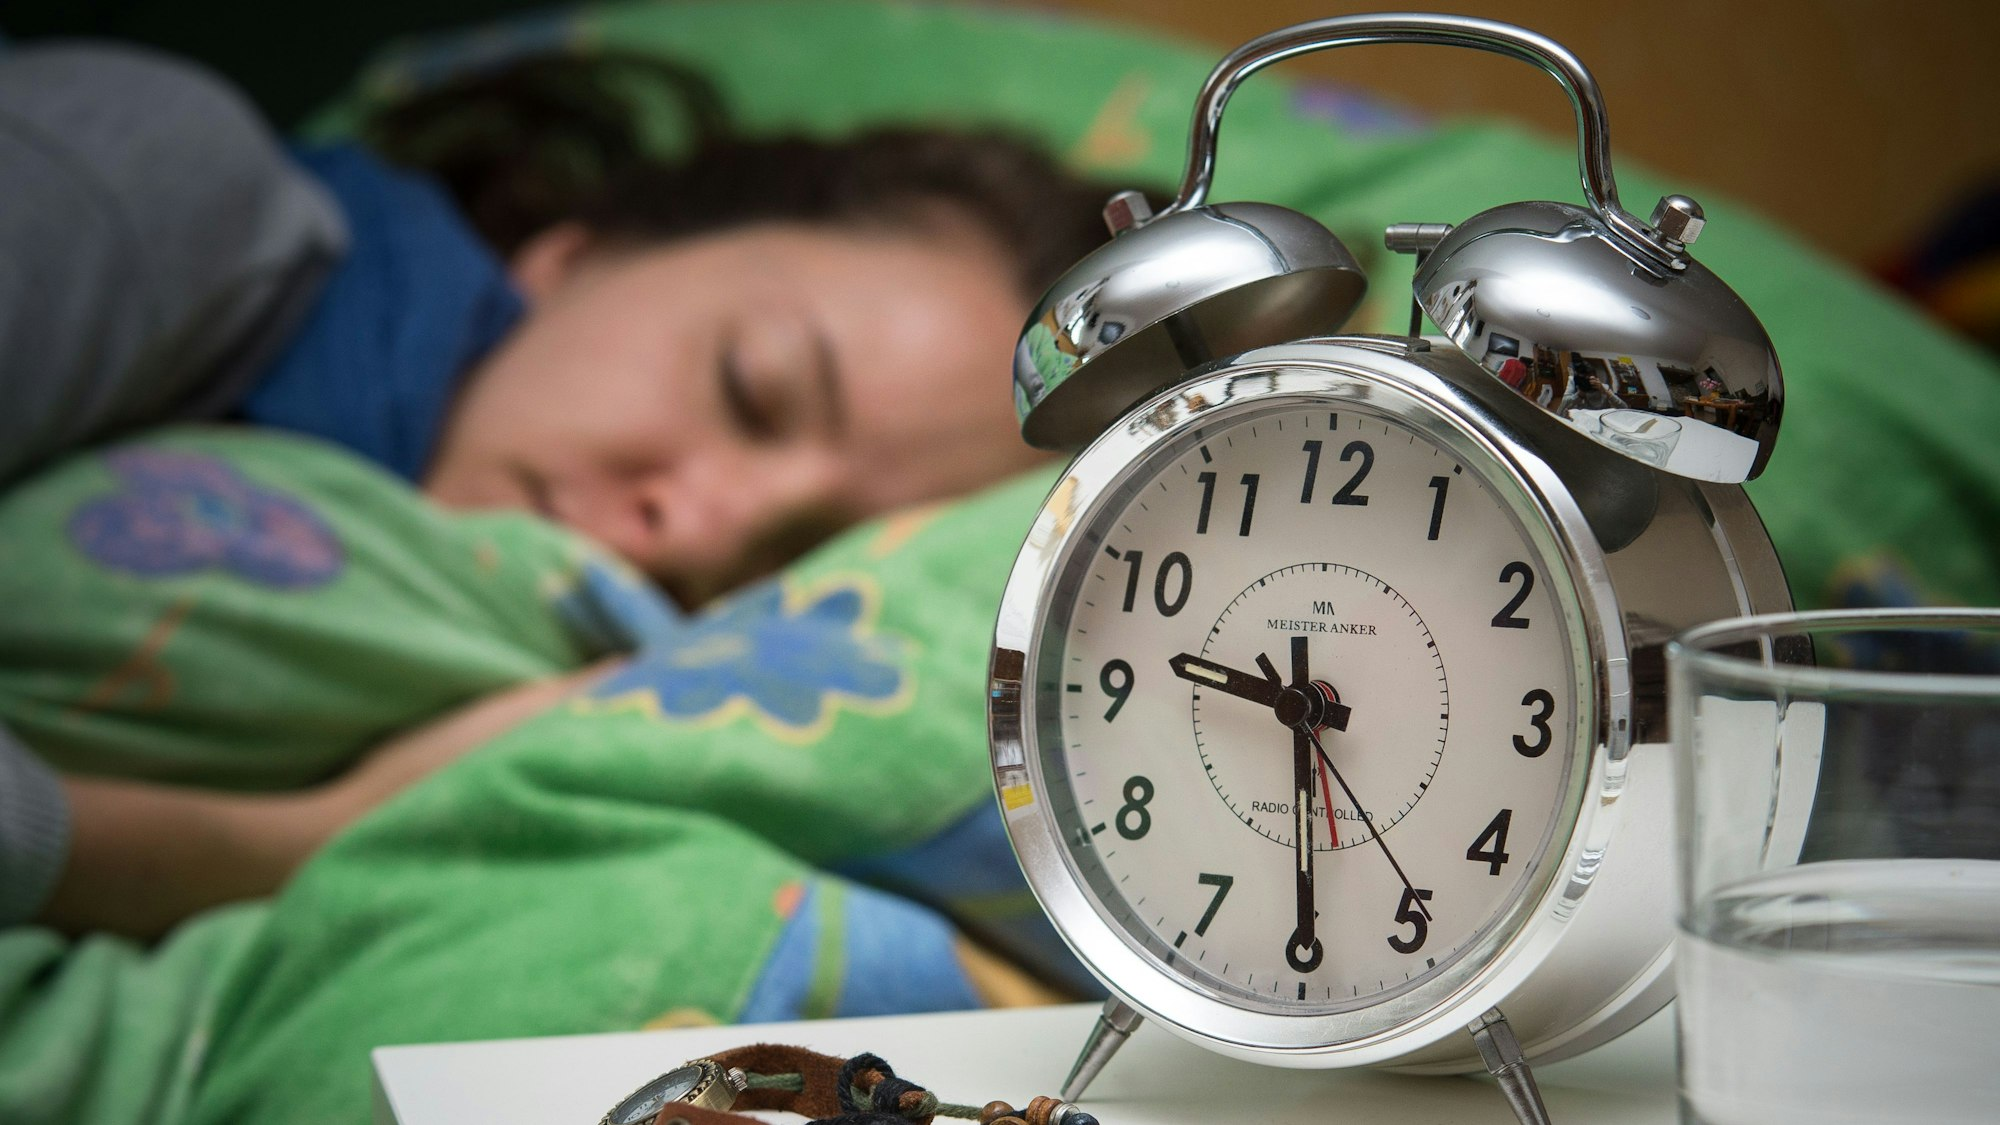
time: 9:30
